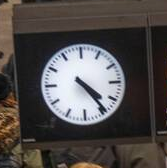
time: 4:23
